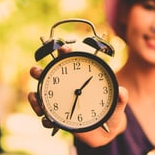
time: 1:33
